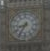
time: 8:35
